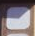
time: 9:07
